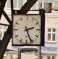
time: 2:26
